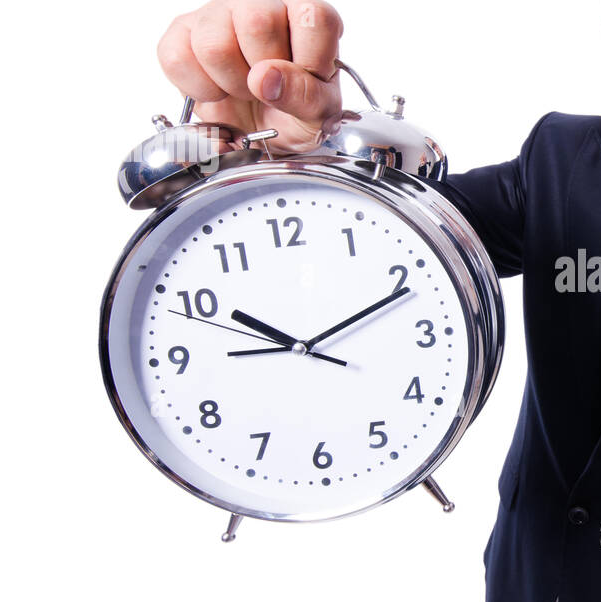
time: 10:11
